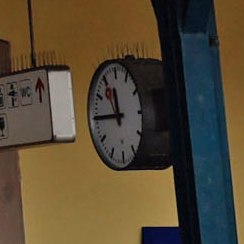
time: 11:45
